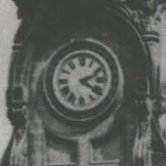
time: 2:21
